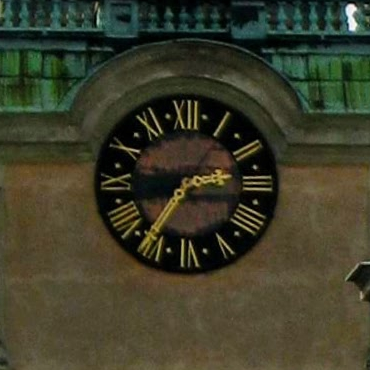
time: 2:36
